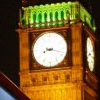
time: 8:17
